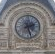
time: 2:27
